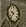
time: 9:36
